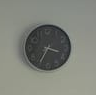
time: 3:34
